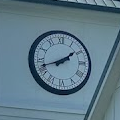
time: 1:42
